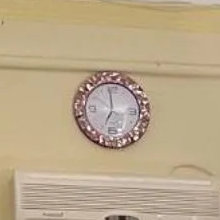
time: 6:58
